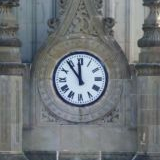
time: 11:53
